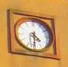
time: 4:30
